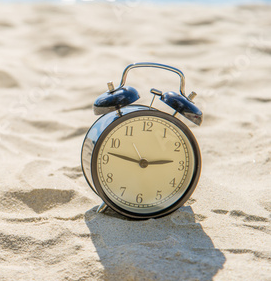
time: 2:46
